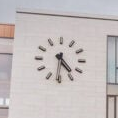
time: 4:31
